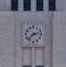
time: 2:38
